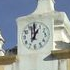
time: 12:59
